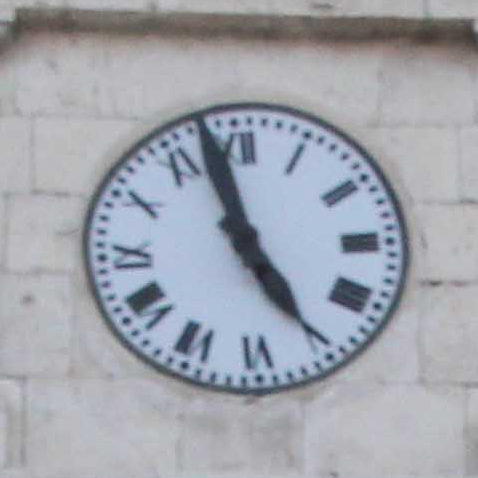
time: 4:57
